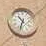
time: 10:33
